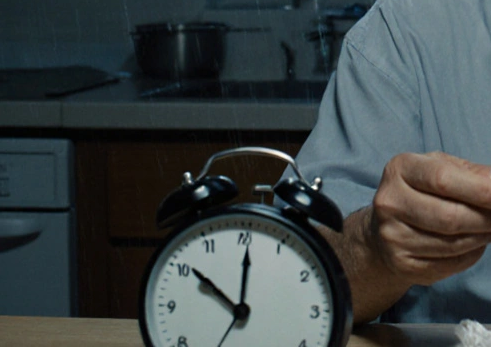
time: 10:00
